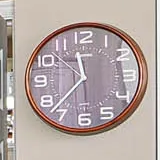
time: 11:37
